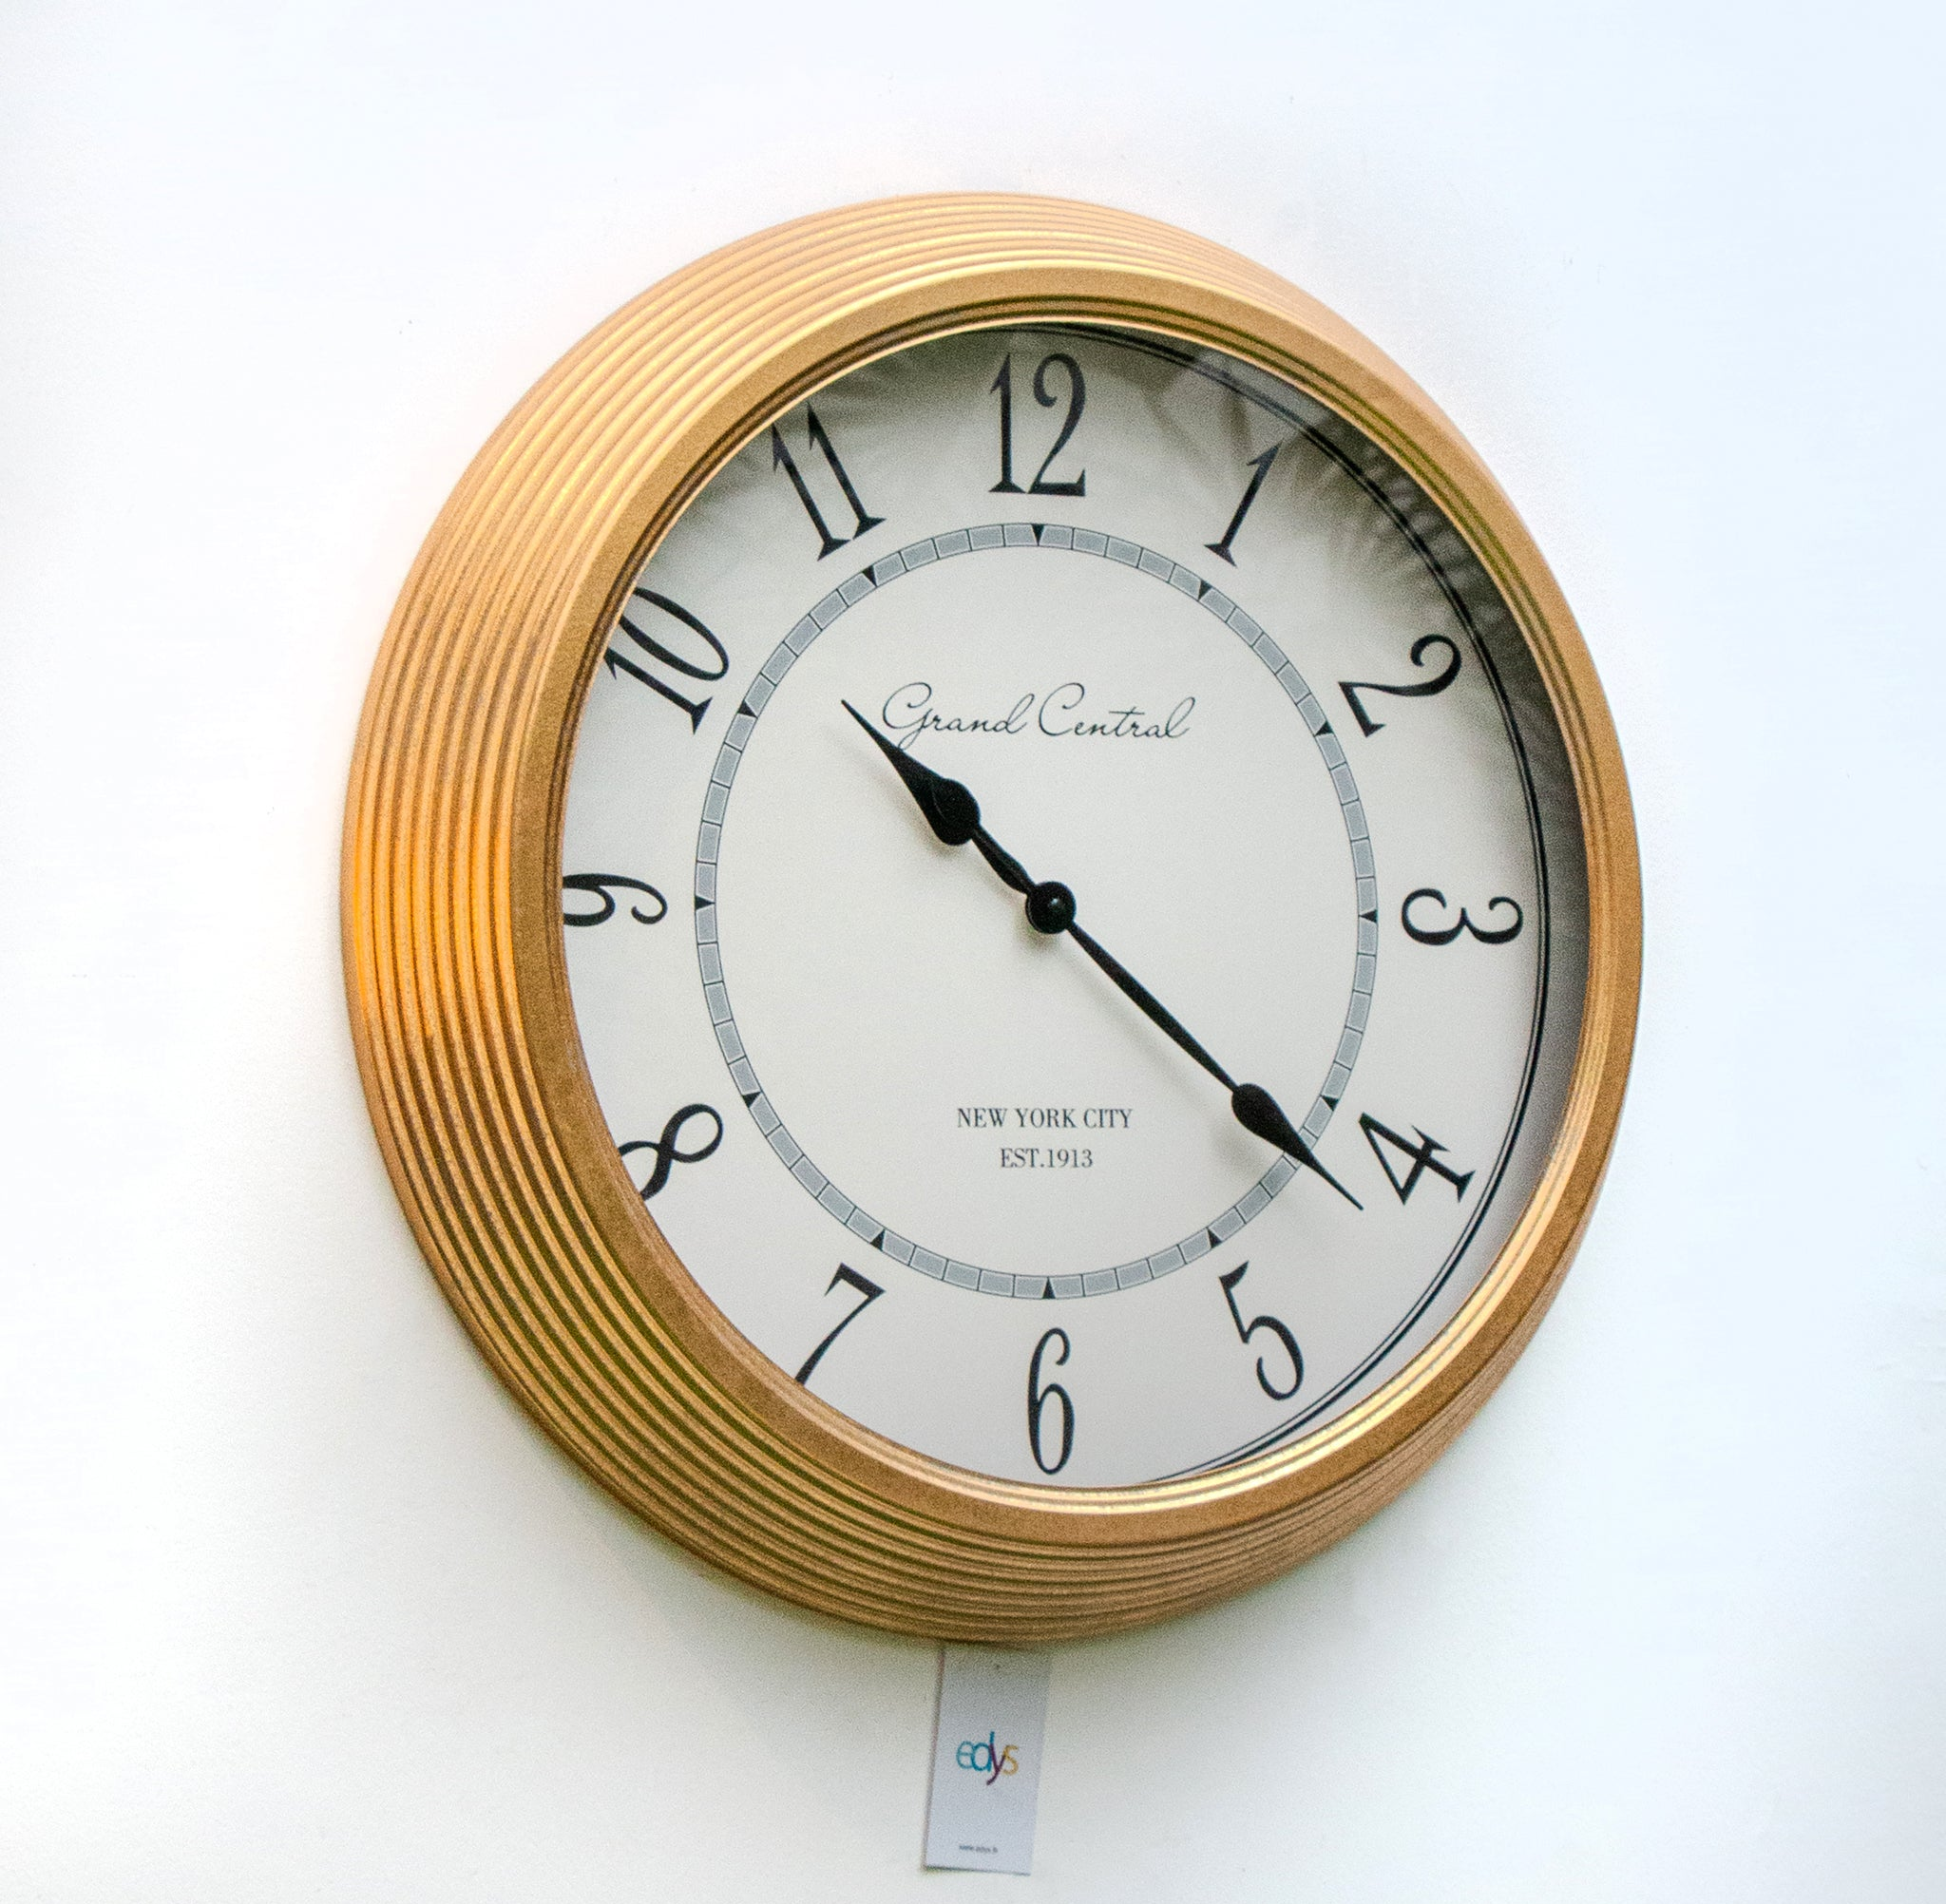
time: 10:21
